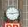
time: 9:14
